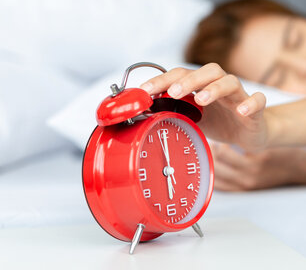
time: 5:59
